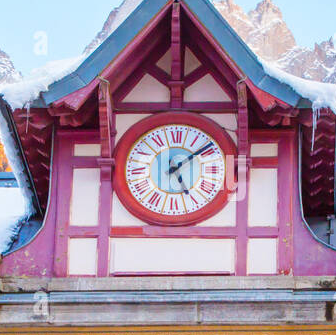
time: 5:08
